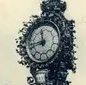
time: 11:42
